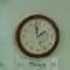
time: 1:59
